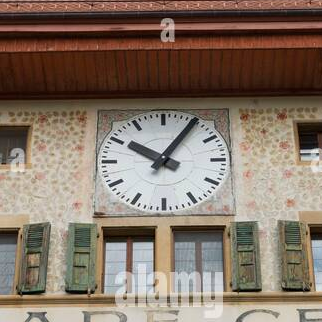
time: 10:05
